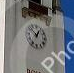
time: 12:52
